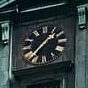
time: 1:36
